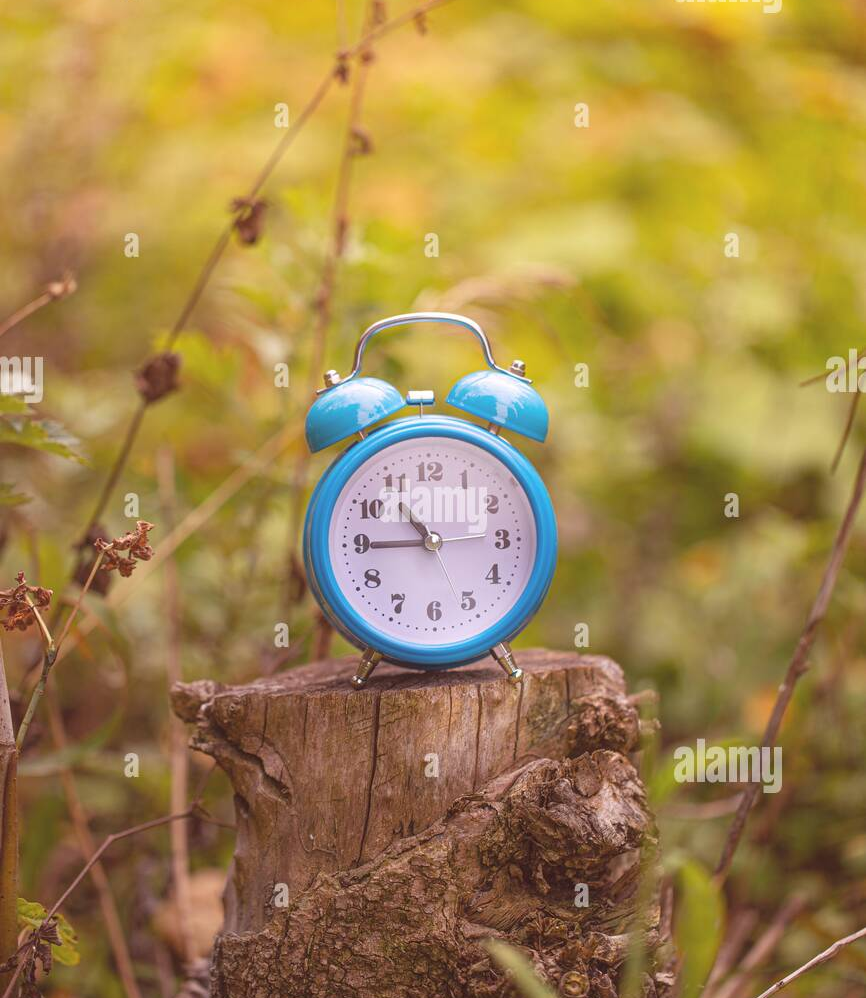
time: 10:45
